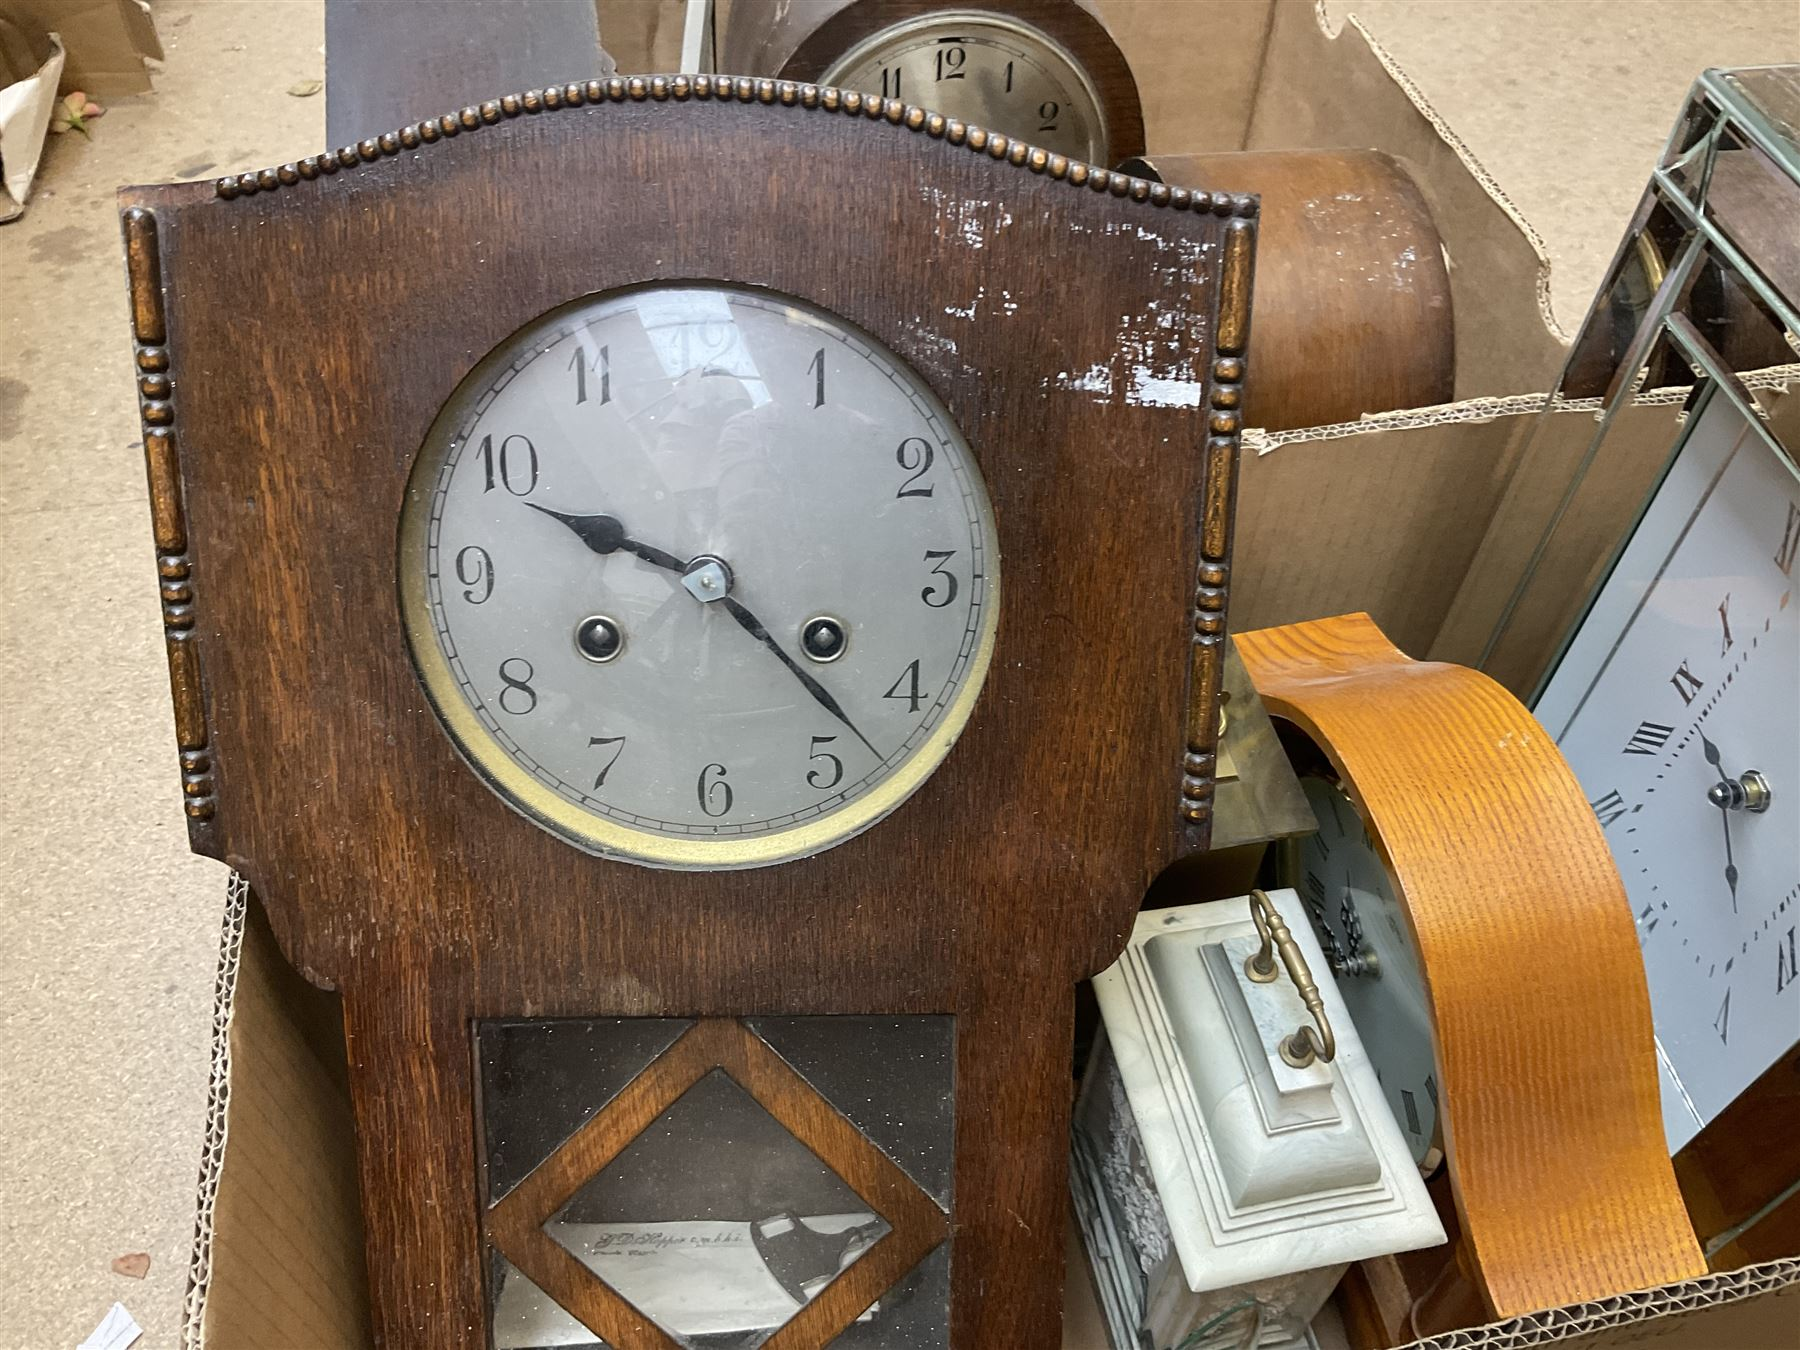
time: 9:22
